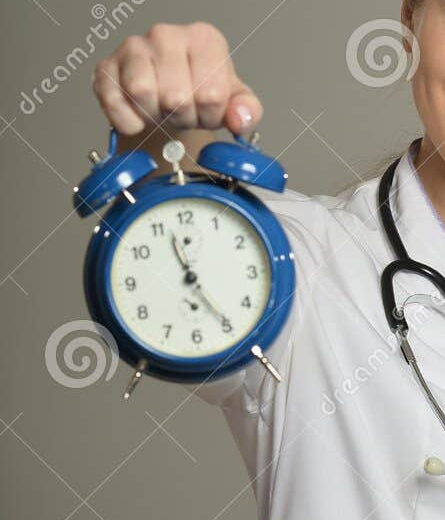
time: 11:24
